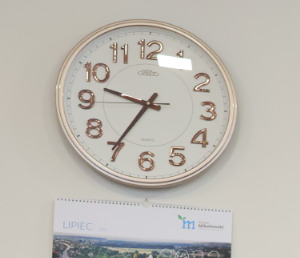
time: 9:35
